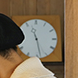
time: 11:28
